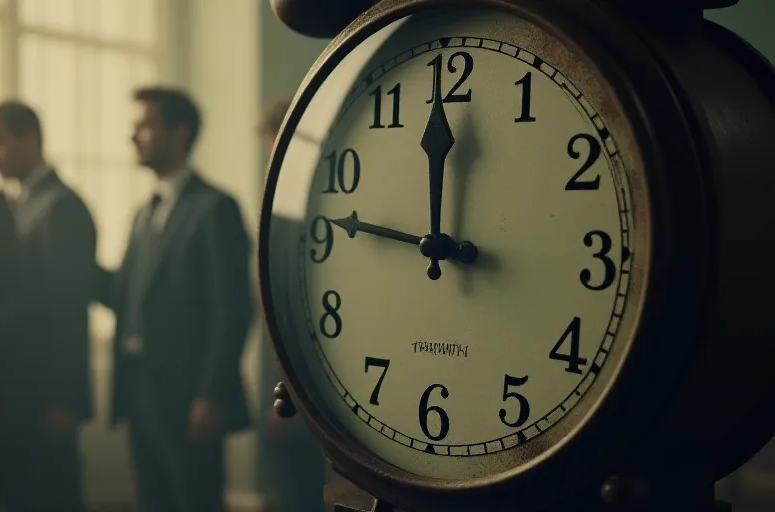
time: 11:46
